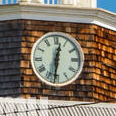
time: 12:31
